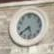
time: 5:40
